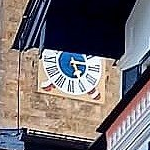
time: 5:14
